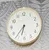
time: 6:36
